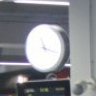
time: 11:17
